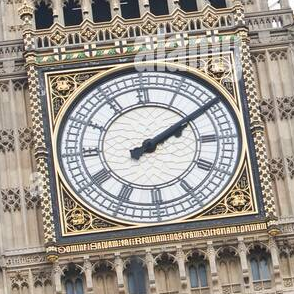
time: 2:09
